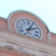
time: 2:04
